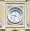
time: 9:33
